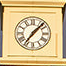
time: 7:07
